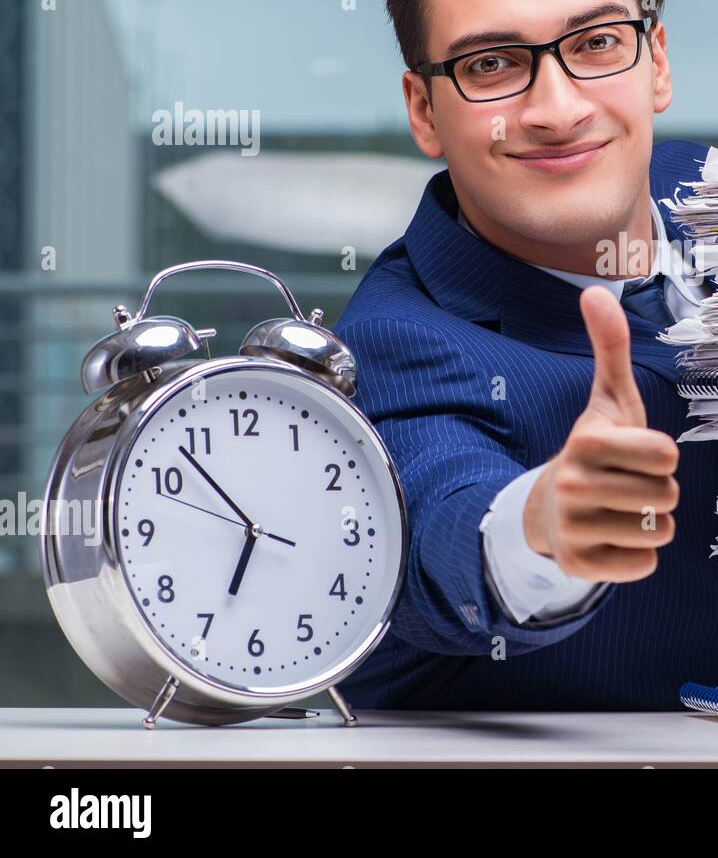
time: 6:52
